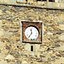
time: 11:35
